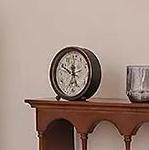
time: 11:49
